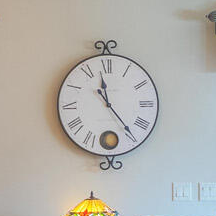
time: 11:23
